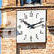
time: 10:12
